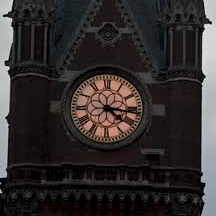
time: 4:16
